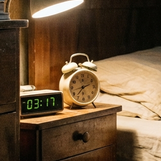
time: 7:12
